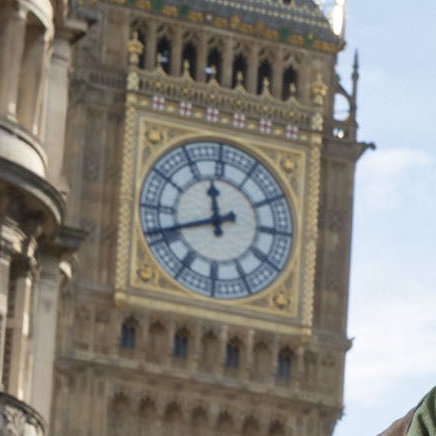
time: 11:41
